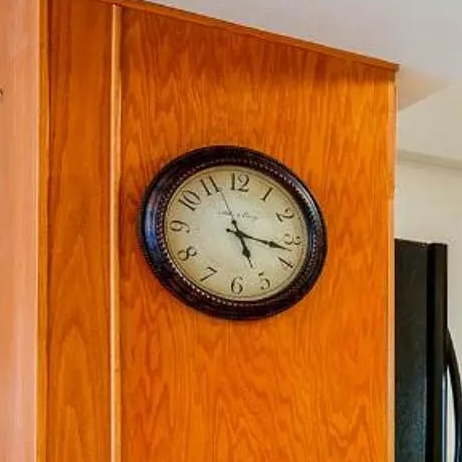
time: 5:16
